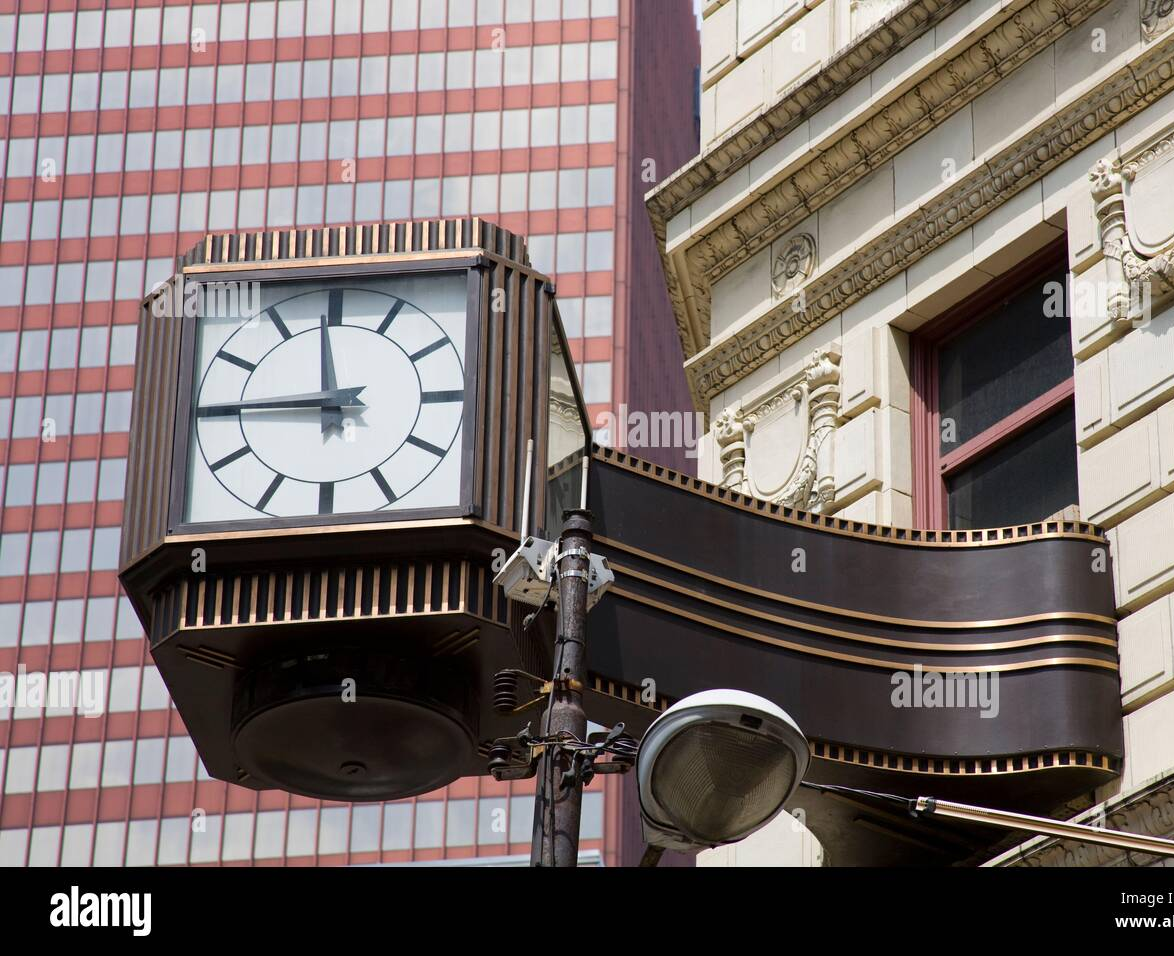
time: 11:45
